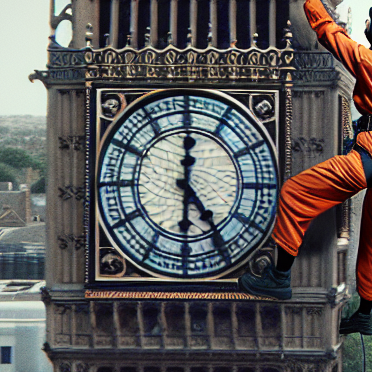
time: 5:00
